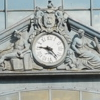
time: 9:23
